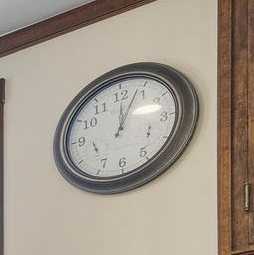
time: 12:03
